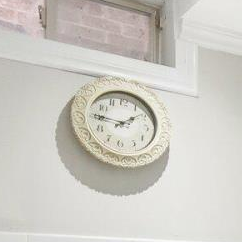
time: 1:45
